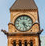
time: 4:26
